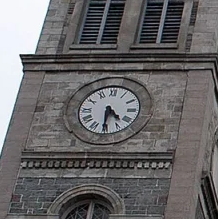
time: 4:30
